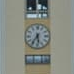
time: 5:35
